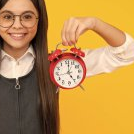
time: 5:01
